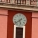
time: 5:38
